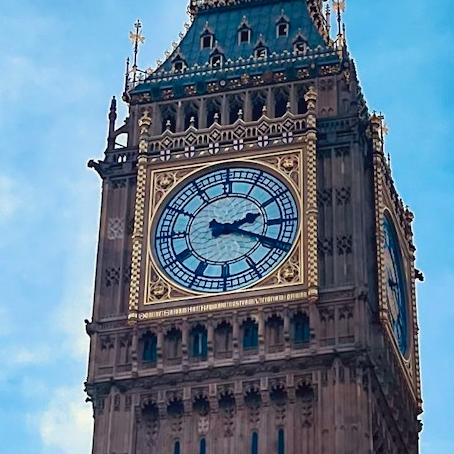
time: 2:18
